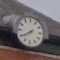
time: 7:39
